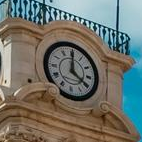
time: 3:59
